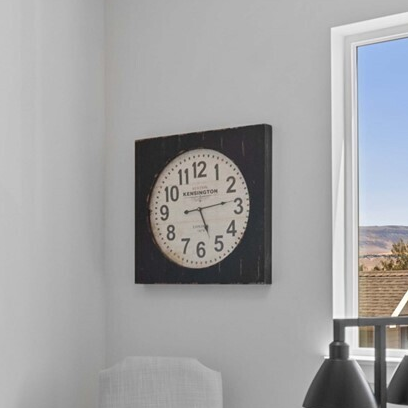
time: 5:13
